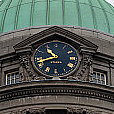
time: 10:42
